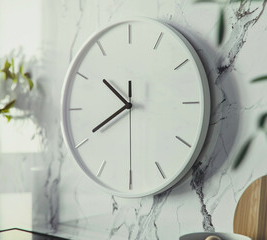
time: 10:40
